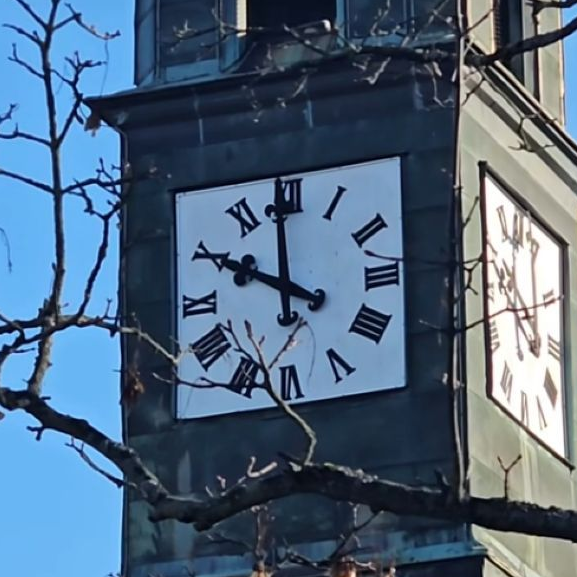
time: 9:59
